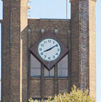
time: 8:09
